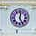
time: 12:25
